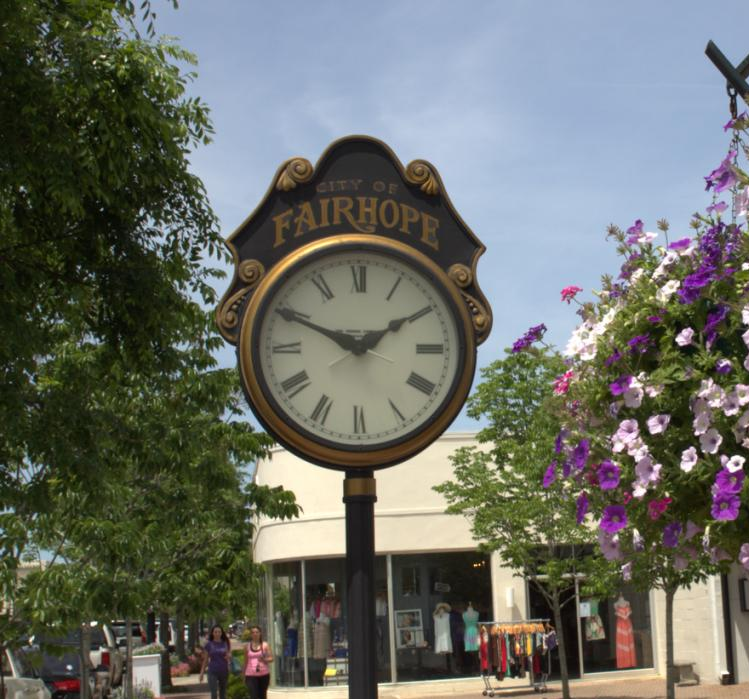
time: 1:49
